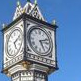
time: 5:11
